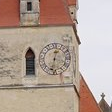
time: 12:32
